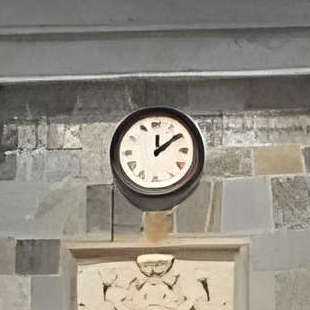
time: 12:09
